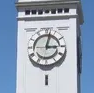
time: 3:02
